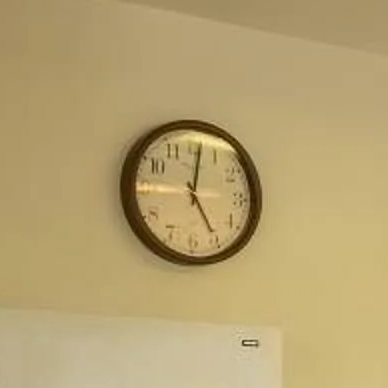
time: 5:01
